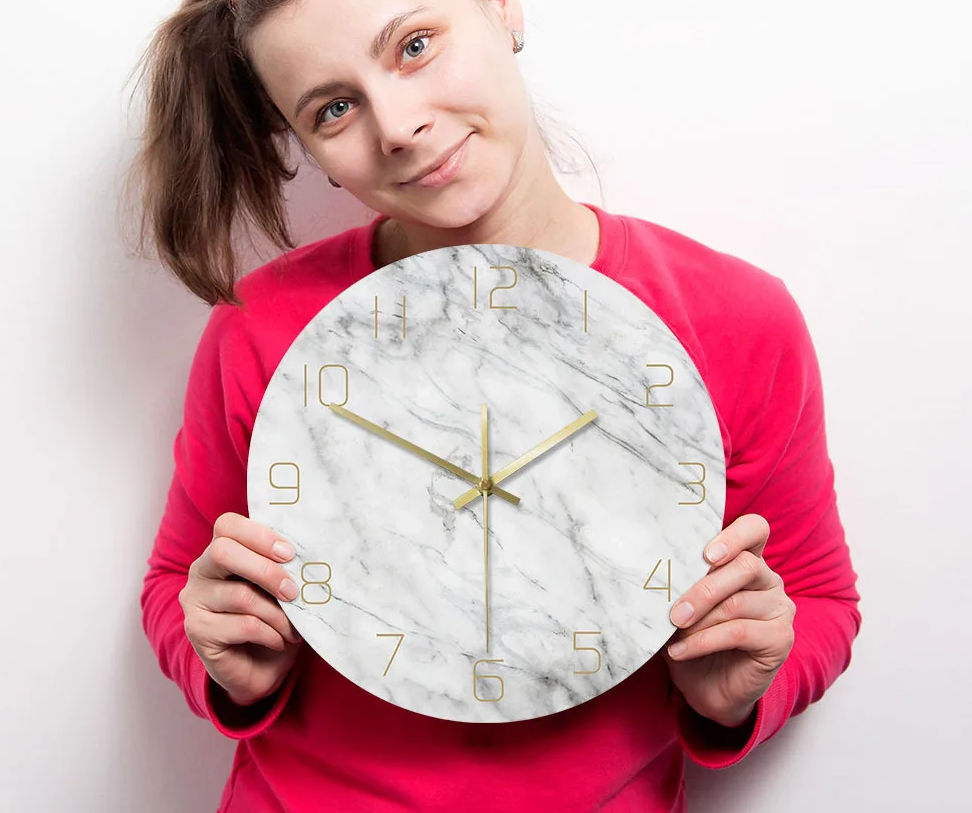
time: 1:49
